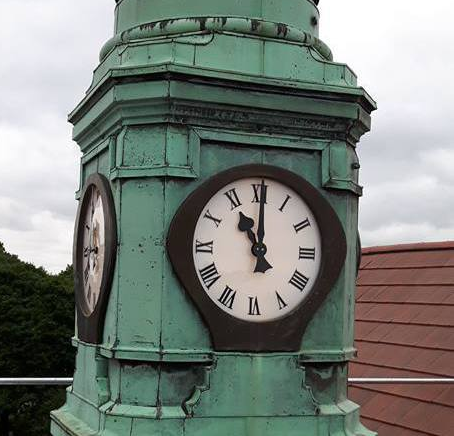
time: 11:00
